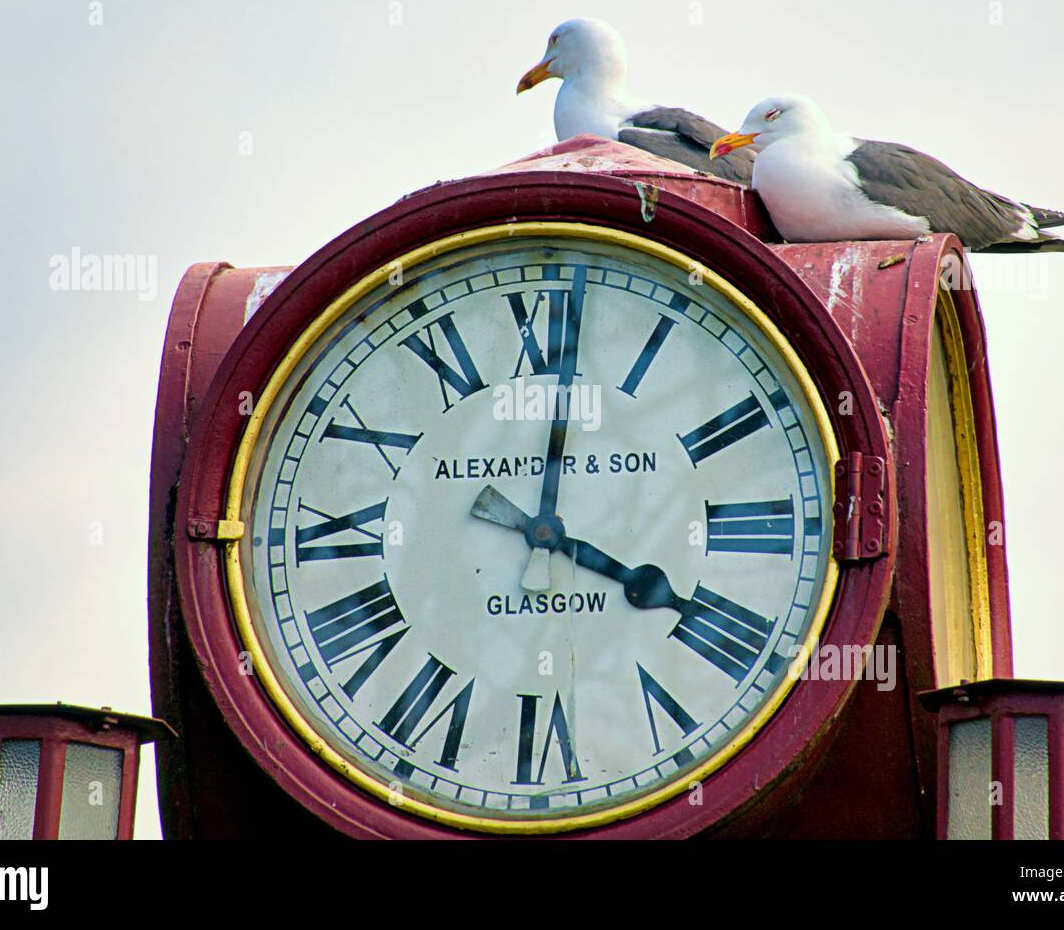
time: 4:01
